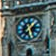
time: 1:28
